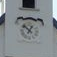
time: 12:52
